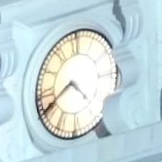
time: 4:40
